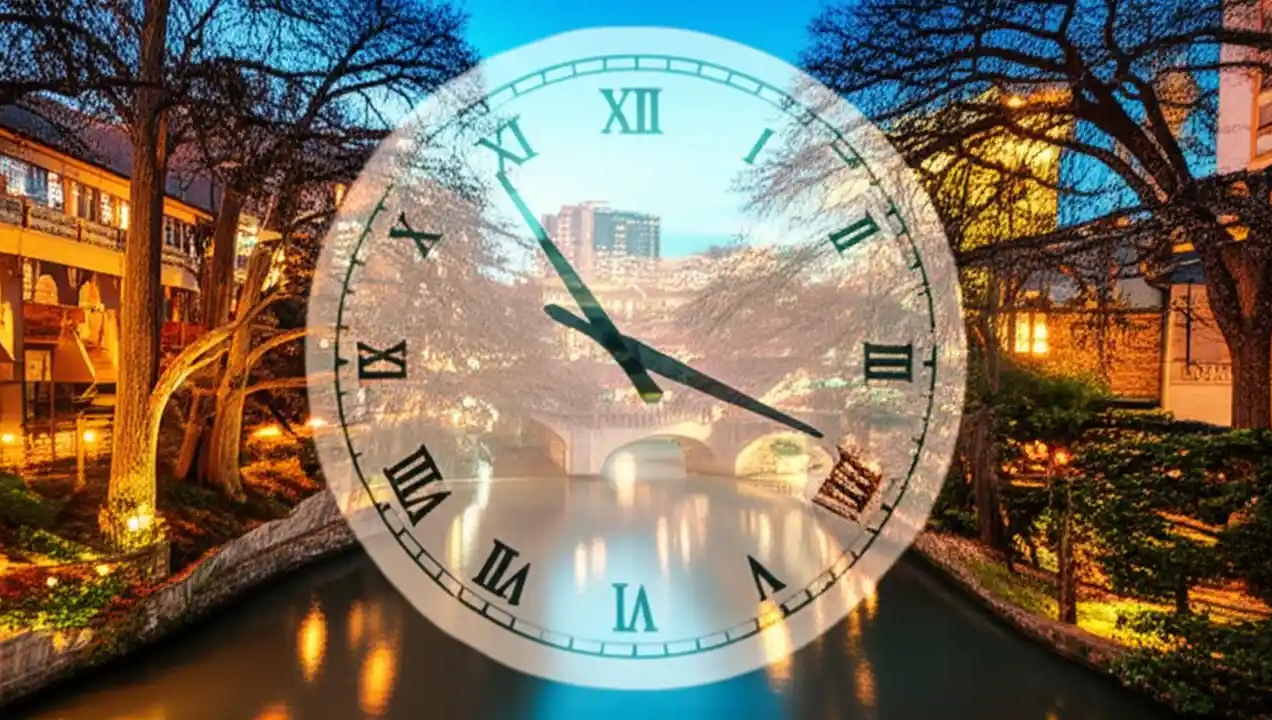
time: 4:18
